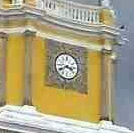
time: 3:40
